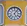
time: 5:06
